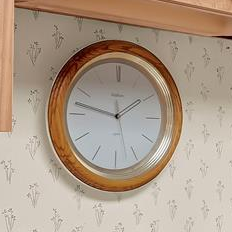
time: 1:47
